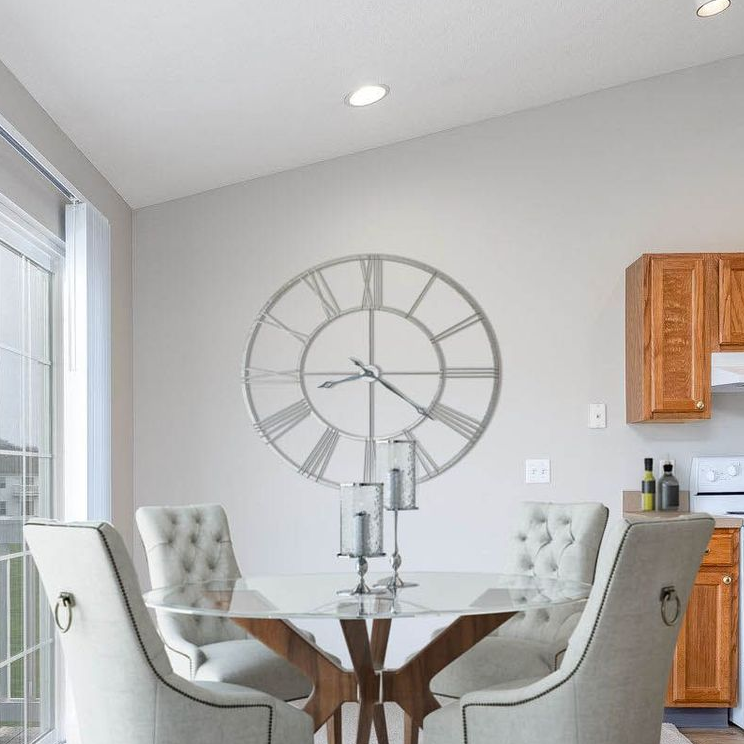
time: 8:20
